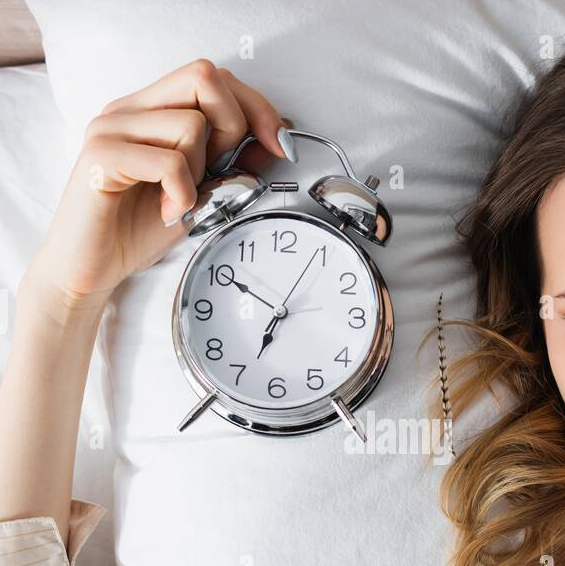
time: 6:50
